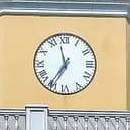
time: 11:35
